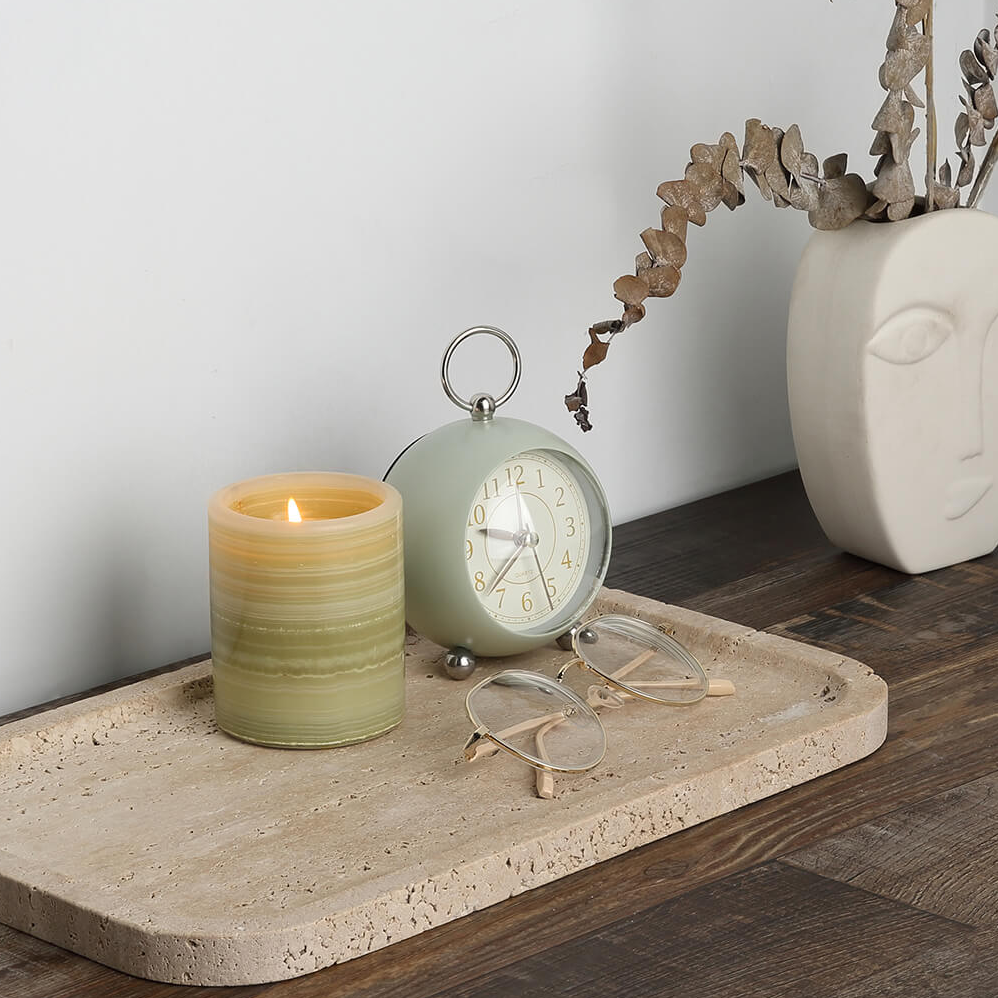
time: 11:46
